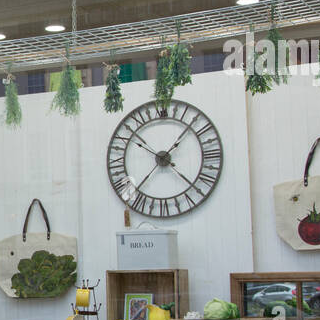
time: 10:07
